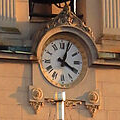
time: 4:03
